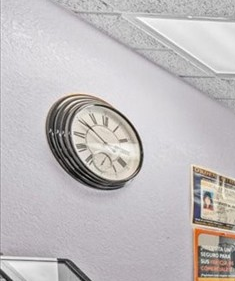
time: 3:50
